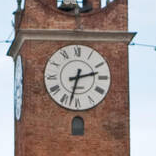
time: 2:32
